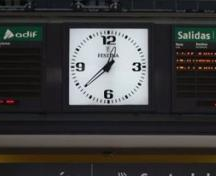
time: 12:37
